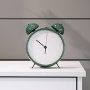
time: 5:51
